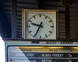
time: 9:34
